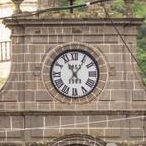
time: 11:05
